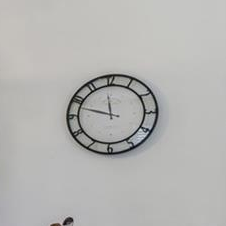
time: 11:47
